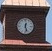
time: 12:27
